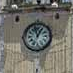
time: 12:57
